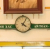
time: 4:04
